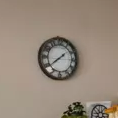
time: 1:38
